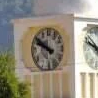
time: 9:50
